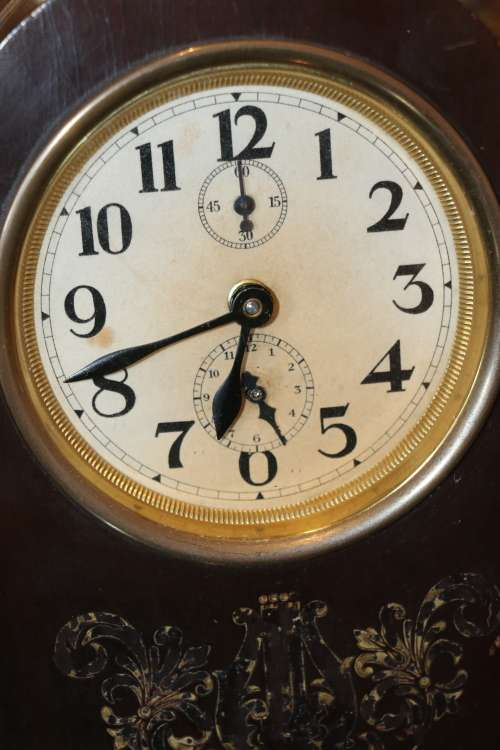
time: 6:41
